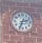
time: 2:33
